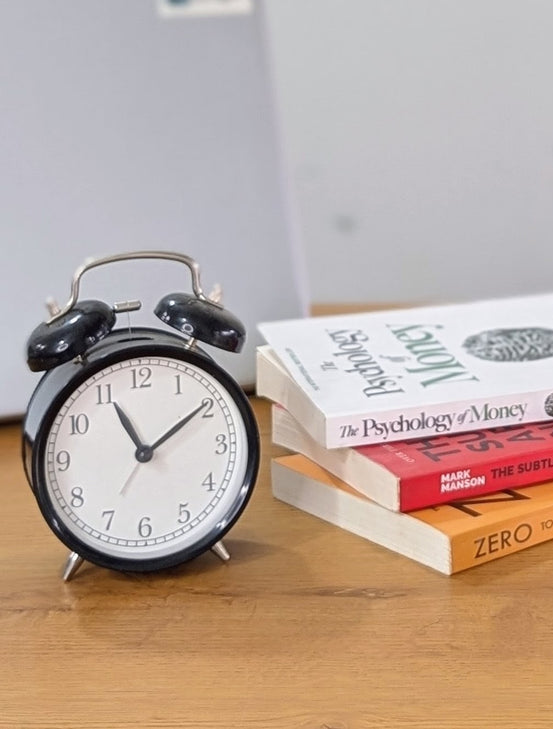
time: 11:09
